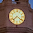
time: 7:21
